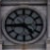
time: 4:44
